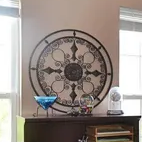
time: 12:16
